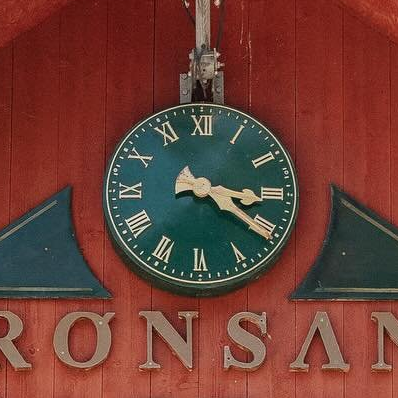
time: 3:20
